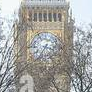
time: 3:35
